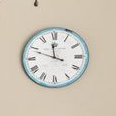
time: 11:48
